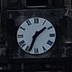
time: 1:33
